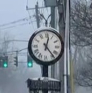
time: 12:23
